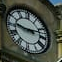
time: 9:12
